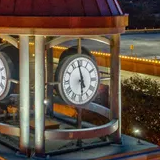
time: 5:58
